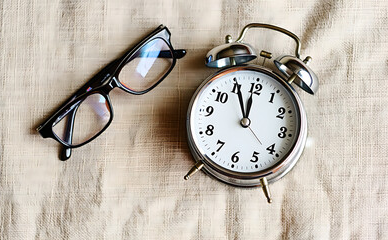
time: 11:55
